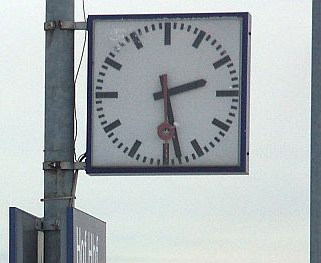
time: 2:28
